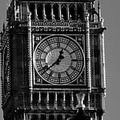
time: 12:38
